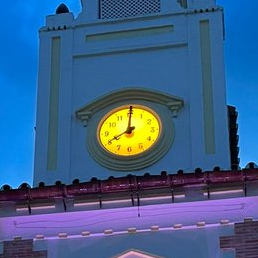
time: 8:00
